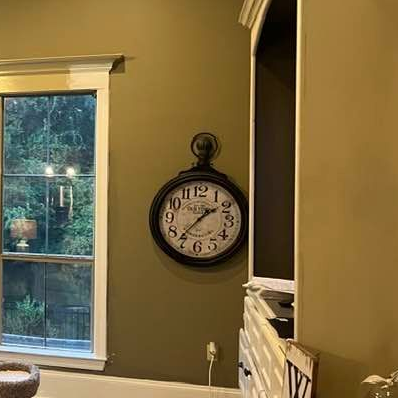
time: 1:36
